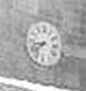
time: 8:38
